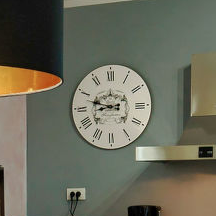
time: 8:47
